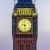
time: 9:28
